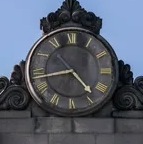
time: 4:43
